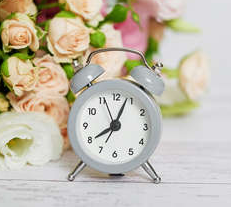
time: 8:03
